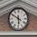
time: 5:49
